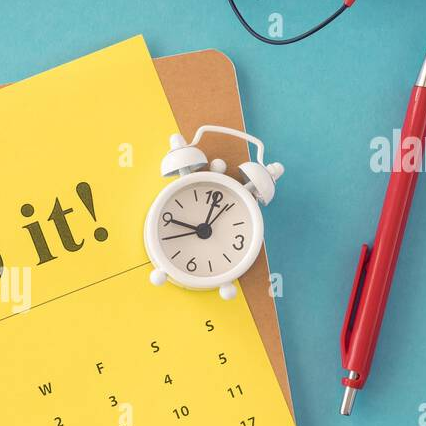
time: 9:01
